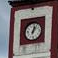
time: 1:02
